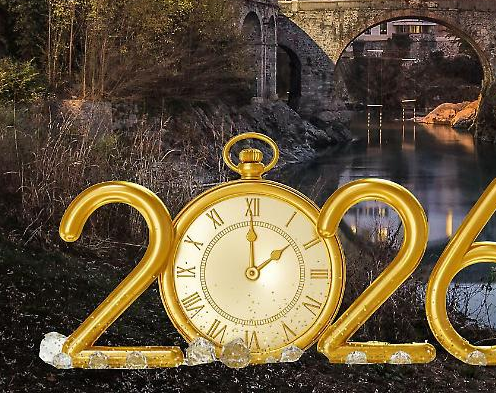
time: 2:00
